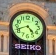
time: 4:41
